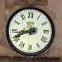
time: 8:41
